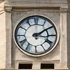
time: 3:09
